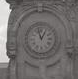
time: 12:57
